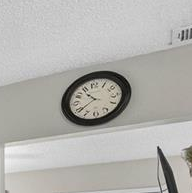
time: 10:38
